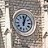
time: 12:04
